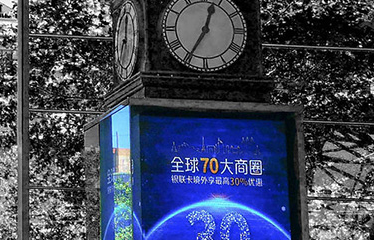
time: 12:34
